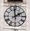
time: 1:59
